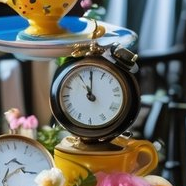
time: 11:00
